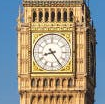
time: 8:24
